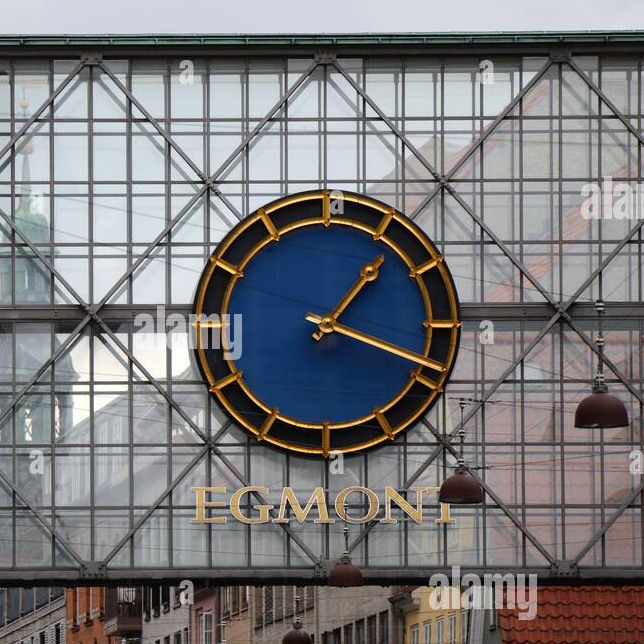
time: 1:18
